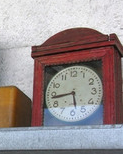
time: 5:43
